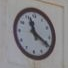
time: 11:19
